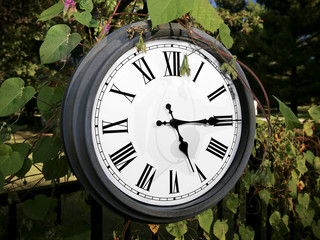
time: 5:14
